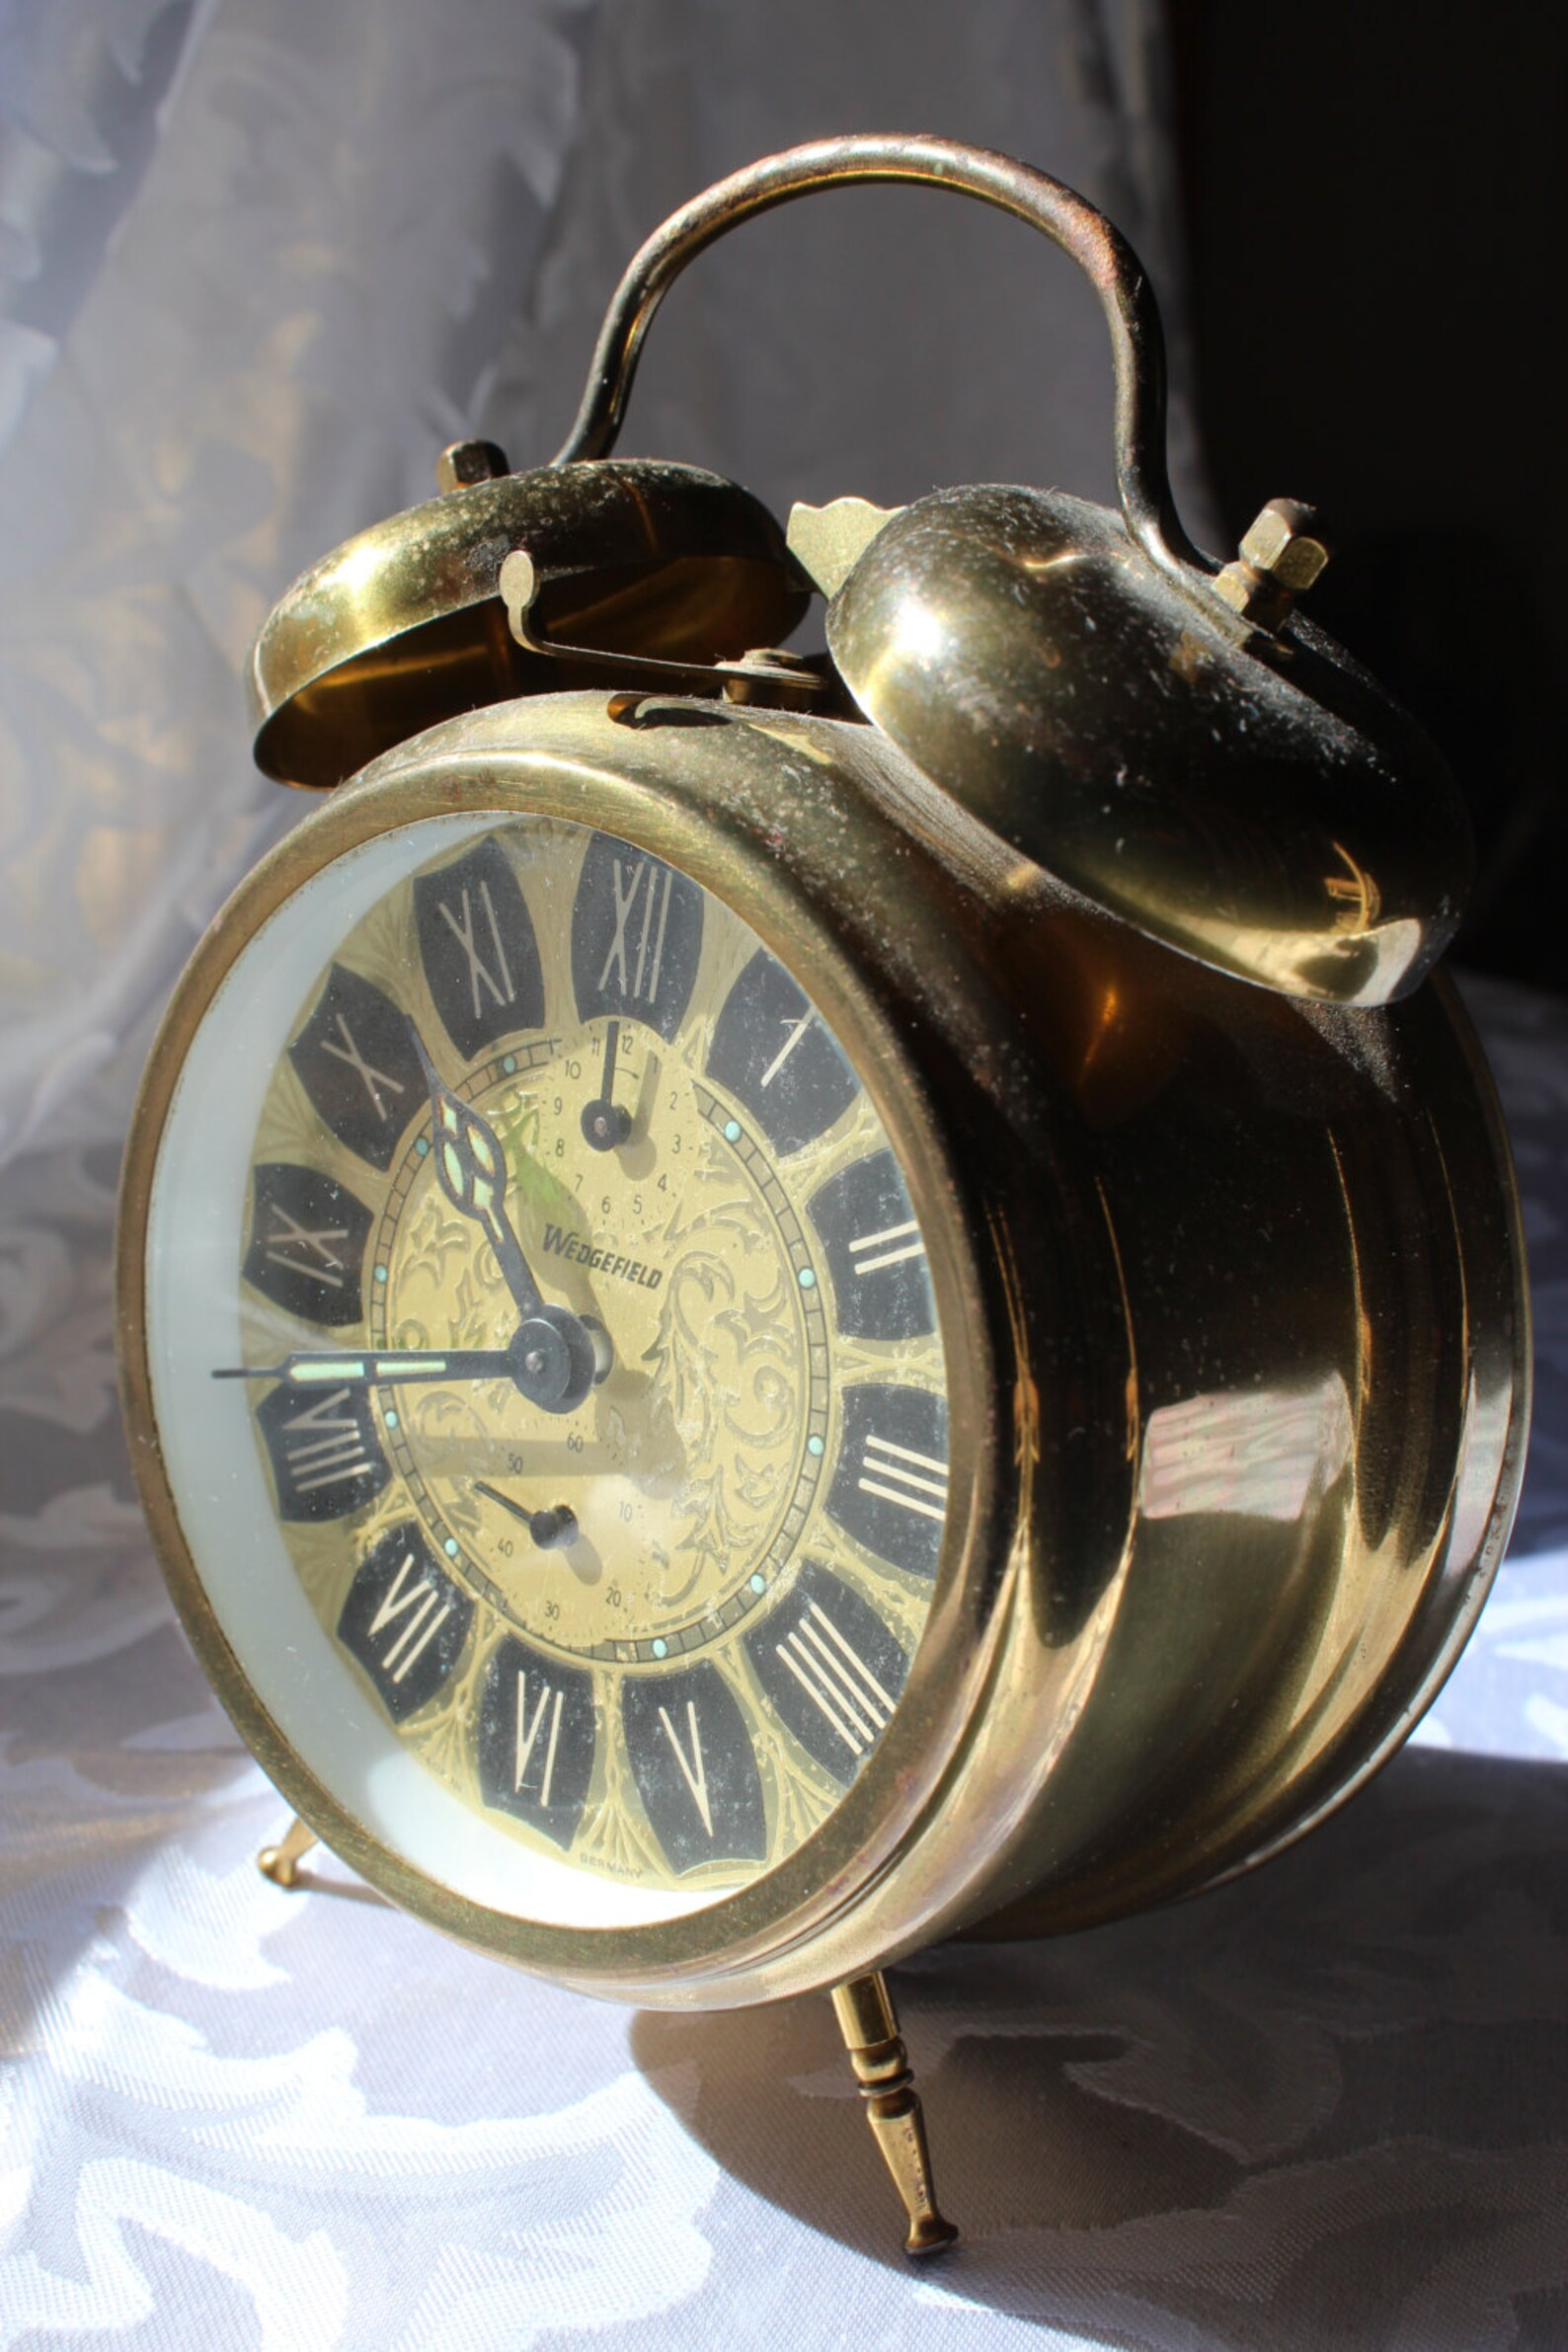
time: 10:42
